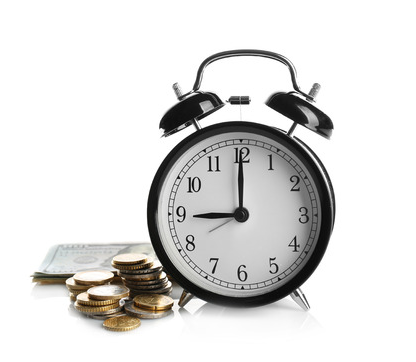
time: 9:00
